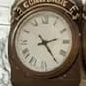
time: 2:24
